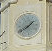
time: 1:39
